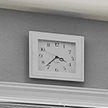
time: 3:37
